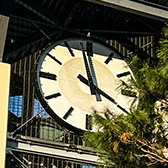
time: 3:58
